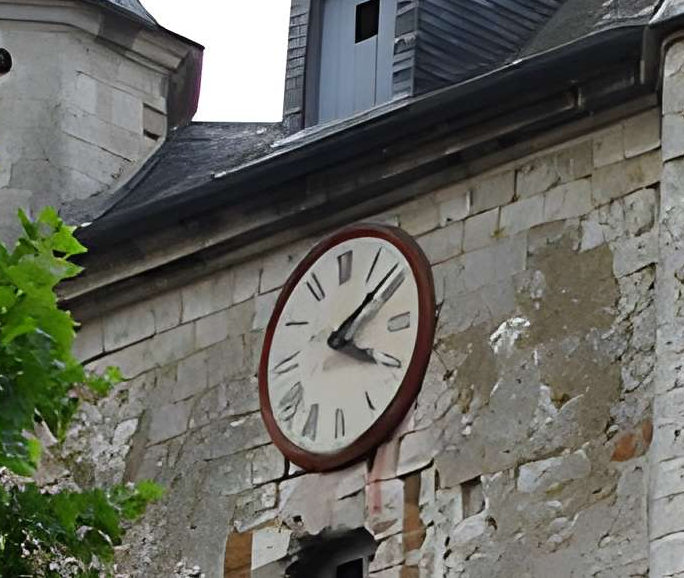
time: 4:09
